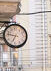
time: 6:46
